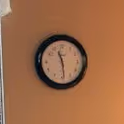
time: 11:28
